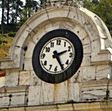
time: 2:24
